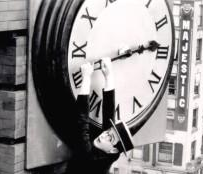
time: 2:13
